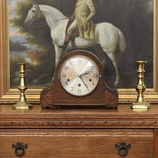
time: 2:24
